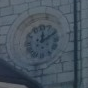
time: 12:10
